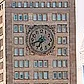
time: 6:41
